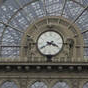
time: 3:40
